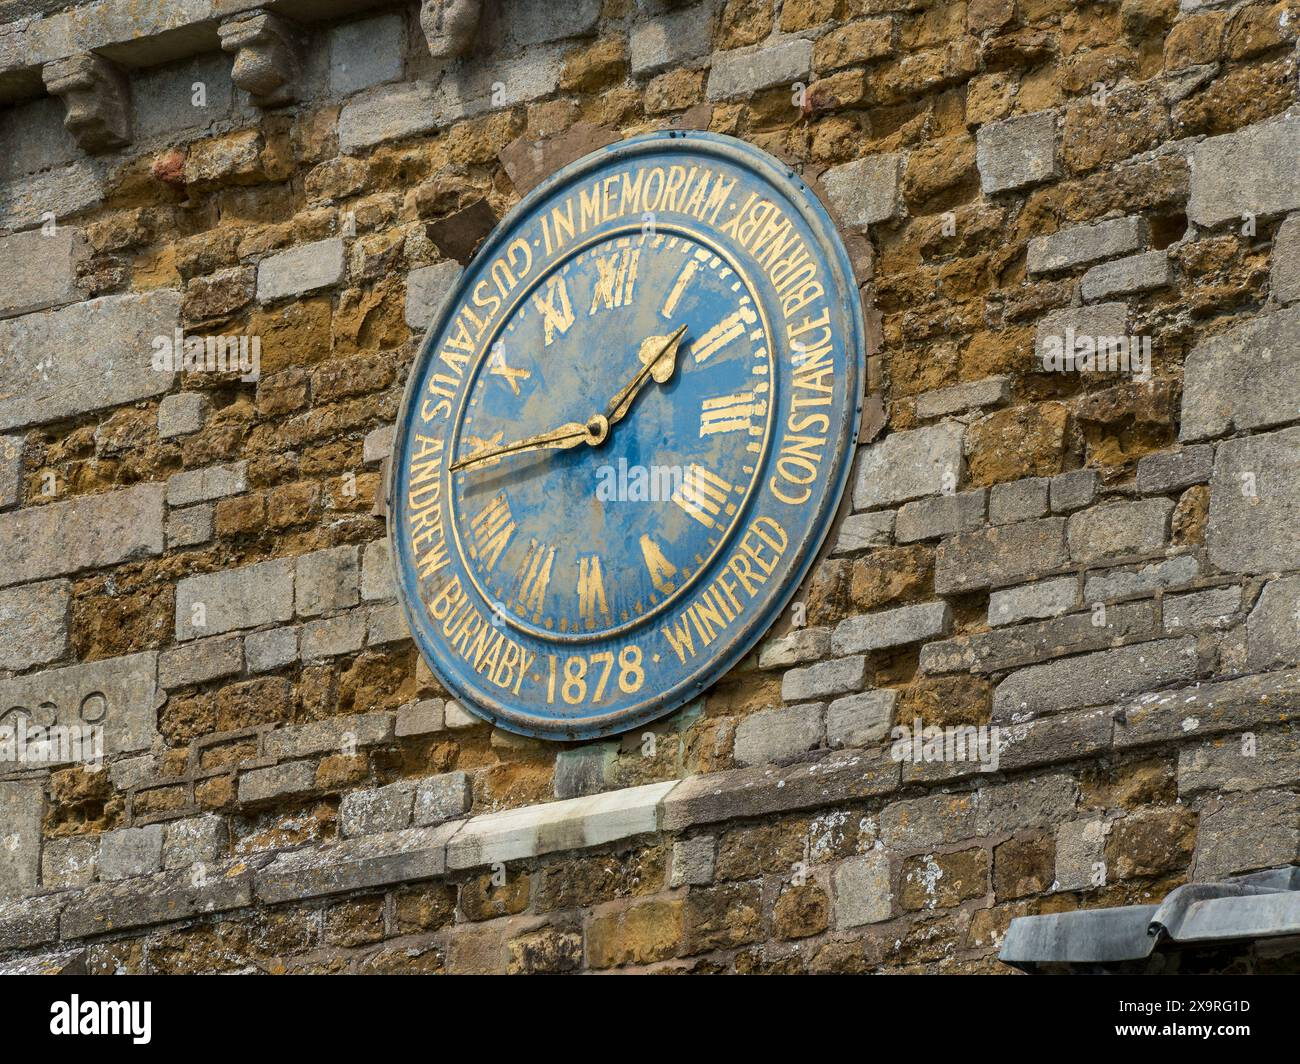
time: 1:44
